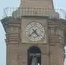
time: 4:37
